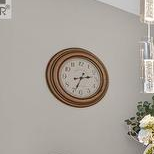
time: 2:33
